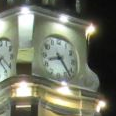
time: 8:23
